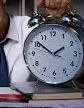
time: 1:51
